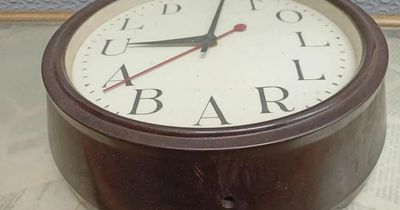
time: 9:01
